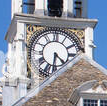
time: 4:31
